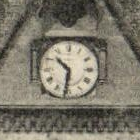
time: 10:31
